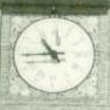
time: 10:44
